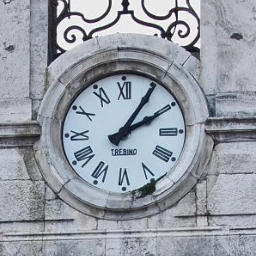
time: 2:05
